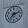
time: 2:36
